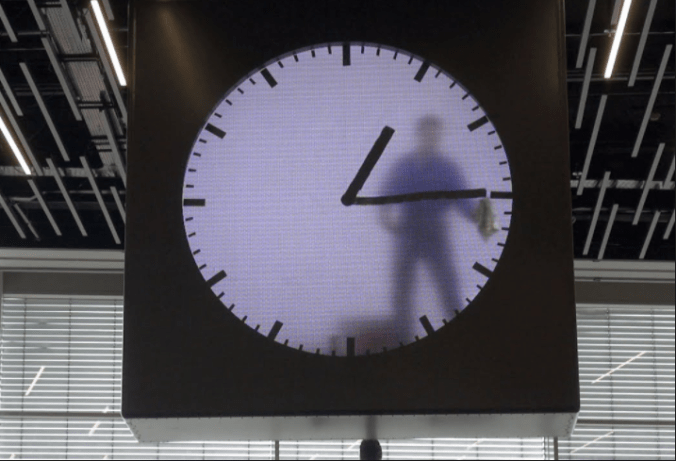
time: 1:14
